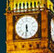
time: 5:30
